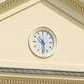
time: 10:29
